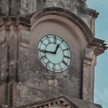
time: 12:44
